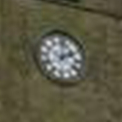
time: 2:01
